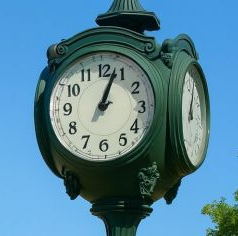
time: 1:03
